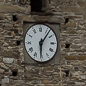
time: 6:06
